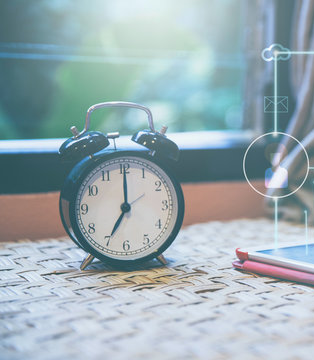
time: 7:00
